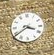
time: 3:39
